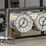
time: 12:37
